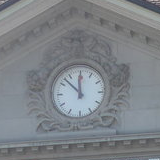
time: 11:52
